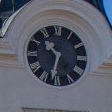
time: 10:32
